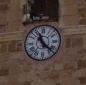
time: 11:22
